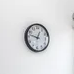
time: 12:47
